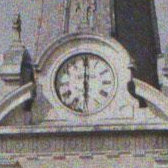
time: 6:00
